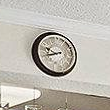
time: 9:42
